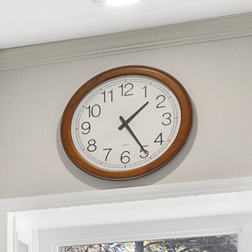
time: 1:24
